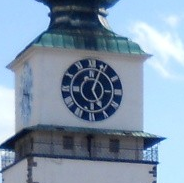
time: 5:03
